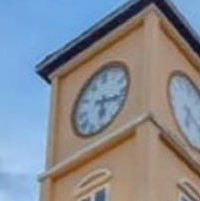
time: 6:17
